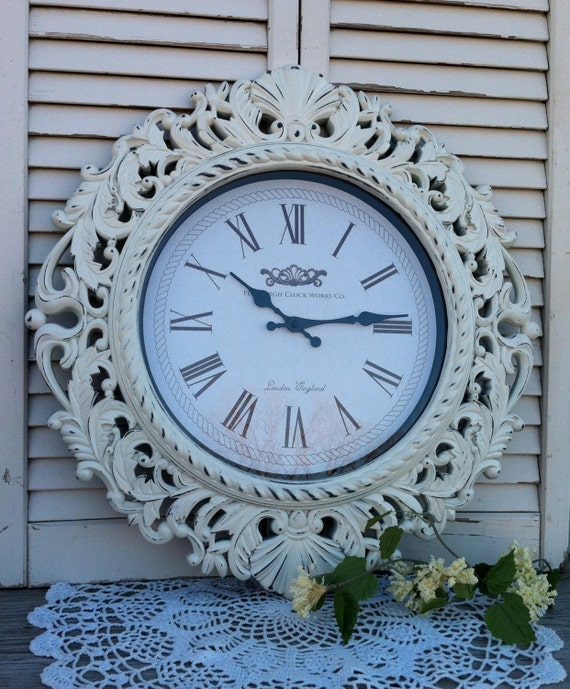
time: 10:14
